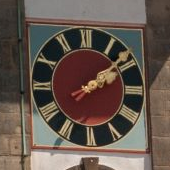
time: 2:09
